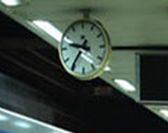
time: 9:35
